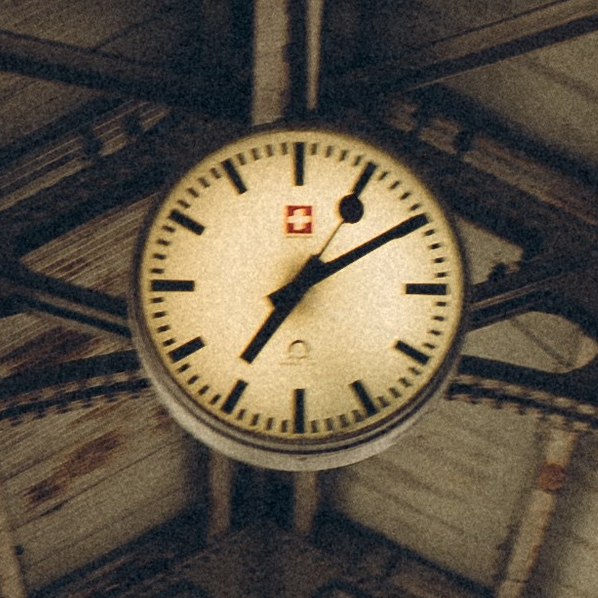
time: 7:09
